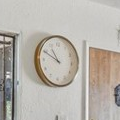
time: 10:49
